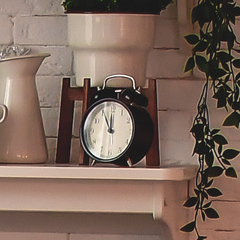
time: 11:55
